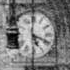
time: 5:18
